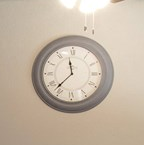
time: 11:36
